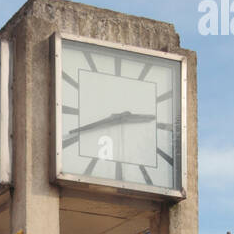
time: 2:40
